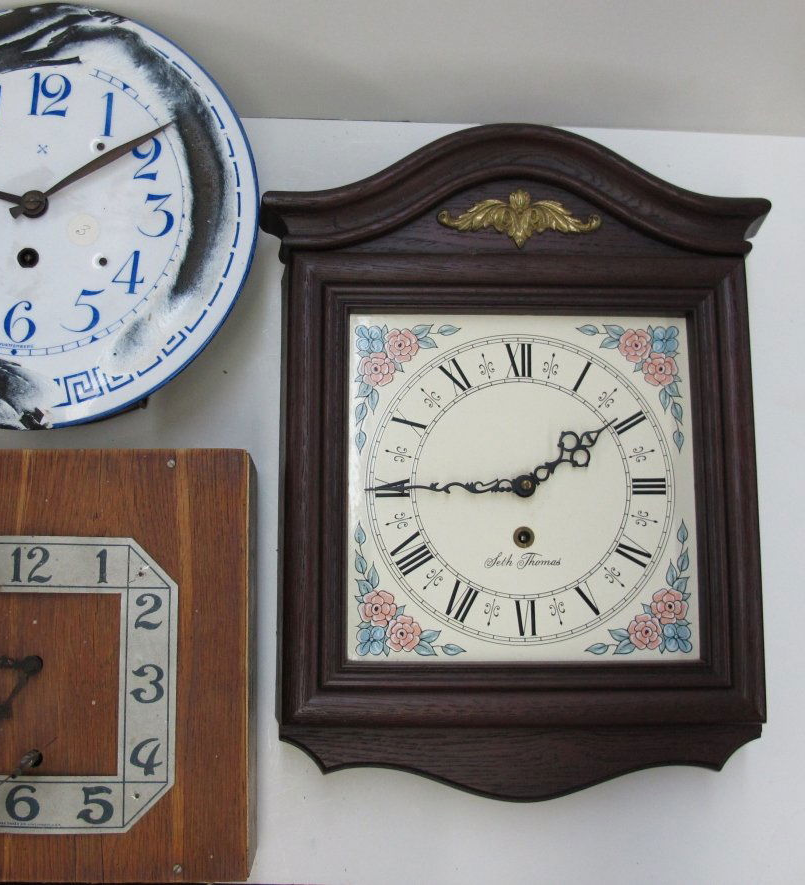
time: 9:09
